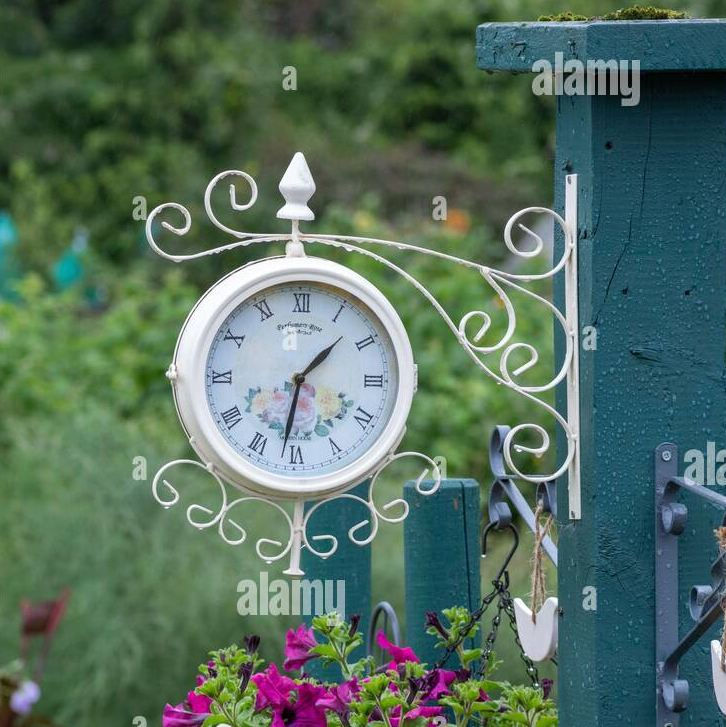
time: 1:32
